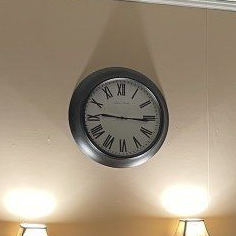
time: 9:15
